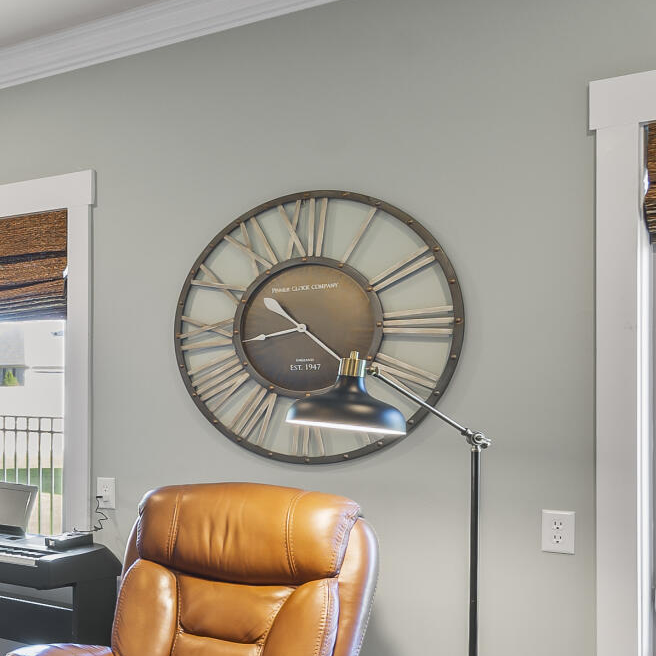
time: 10:22
